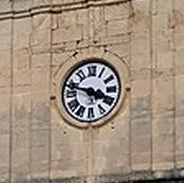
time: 3:47
